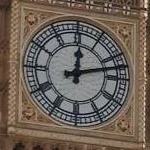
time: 12:12
